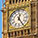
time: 12:24
